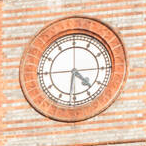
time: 4:31
